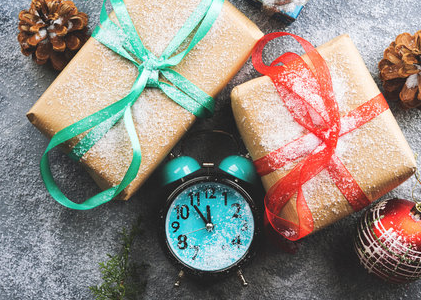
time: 11:53
